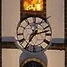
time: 7:12
